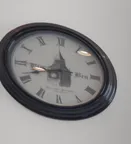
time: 11:41
